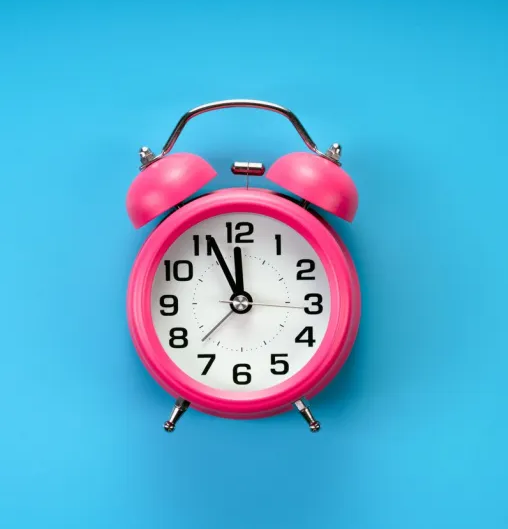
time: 11:55
